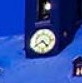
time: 4:40
